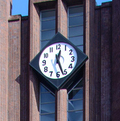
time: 12:26
